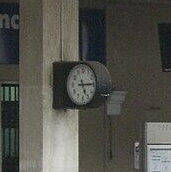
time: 5:15
